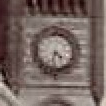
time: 4:31
